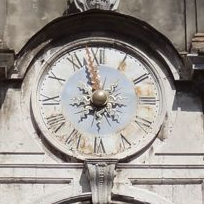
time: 7:57
